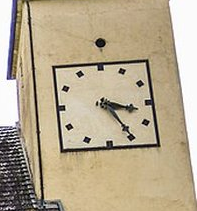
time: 3:24
